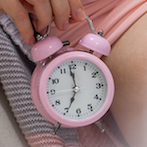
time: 6:58
